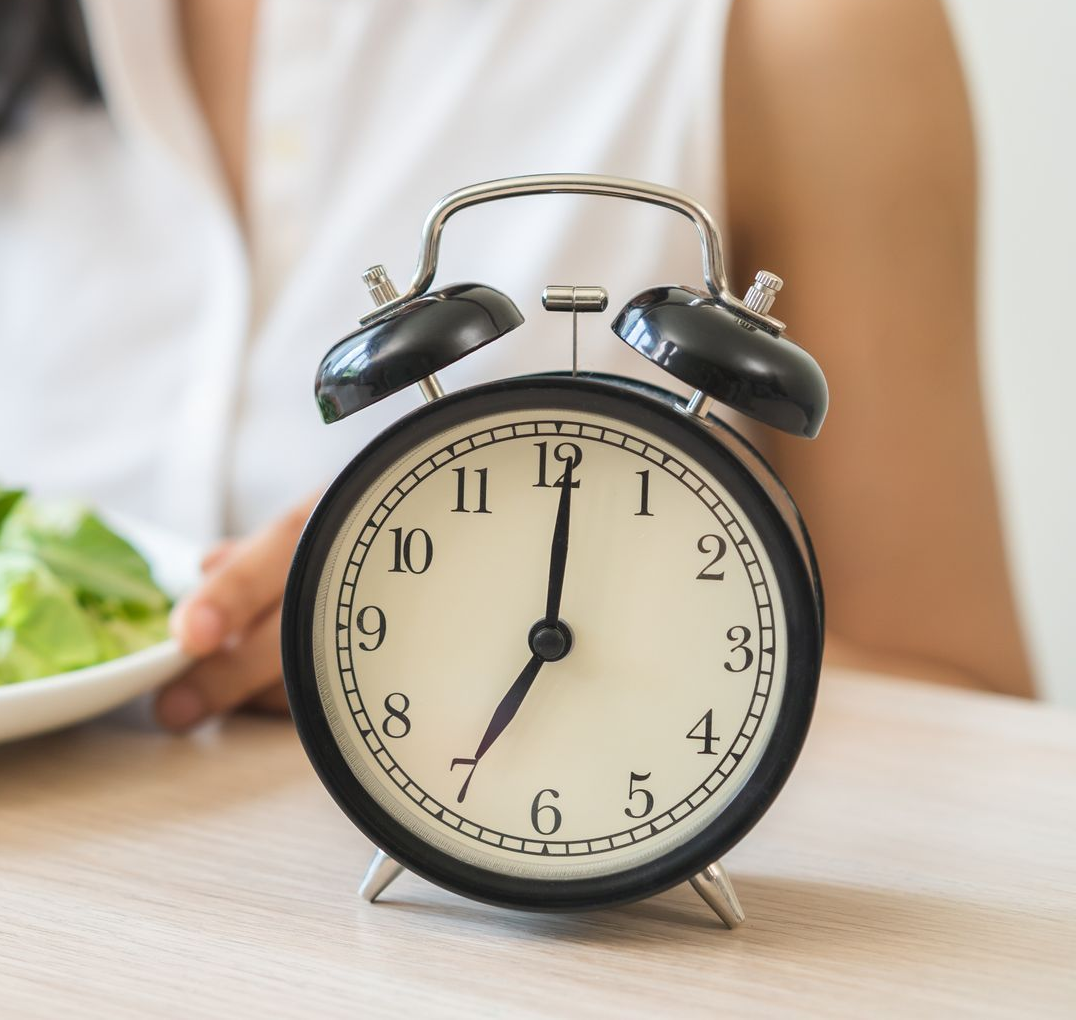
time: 7:00
